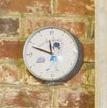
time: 11:48
